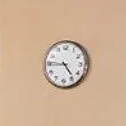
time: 4:44
